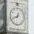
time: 12:41
